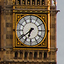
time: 6:38
